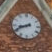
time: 8:41
